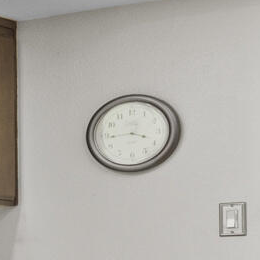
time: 3:43
